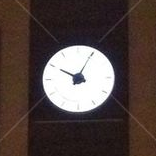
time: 10:04
